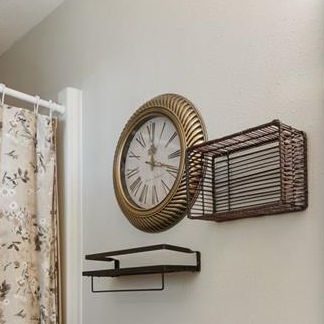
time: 12:18
